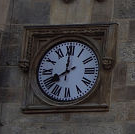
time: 8:00
